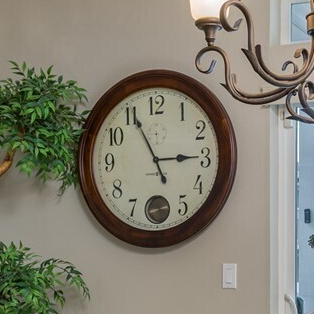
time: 2:55
